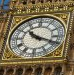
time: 10:18
